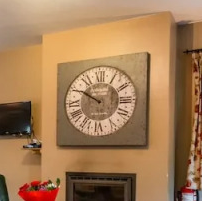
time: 9:50
